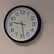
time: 9:28
